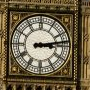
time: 3:13
